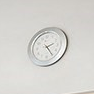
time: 2:24
